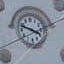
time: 3:47
